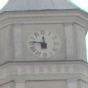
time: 11:46
